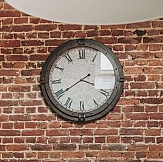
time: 3:39
